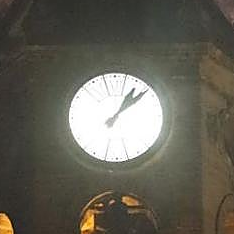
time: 1:08
